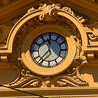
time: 11:36
